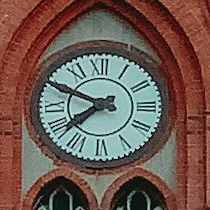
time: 7:49
